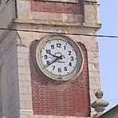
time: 9:39
